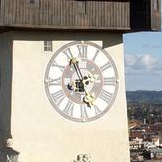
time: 7:55
